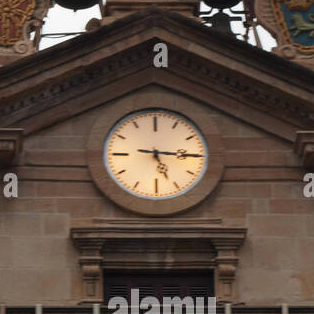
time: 5:15
